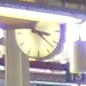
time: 3:21
